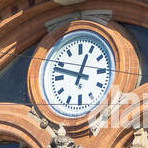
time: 12:48
